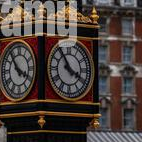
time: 3:54
